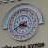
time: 3:40
